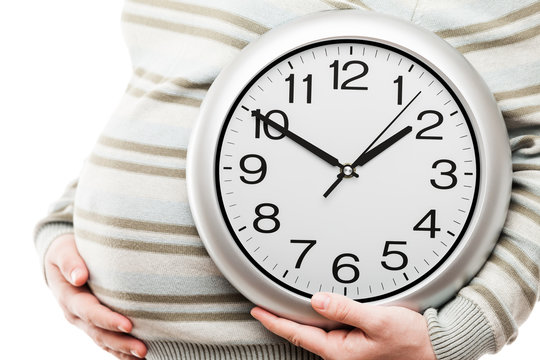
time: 1:50
